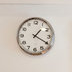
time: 1:19
